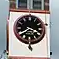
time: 3:39
